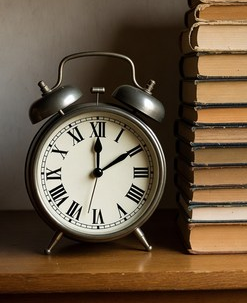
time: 12:09
